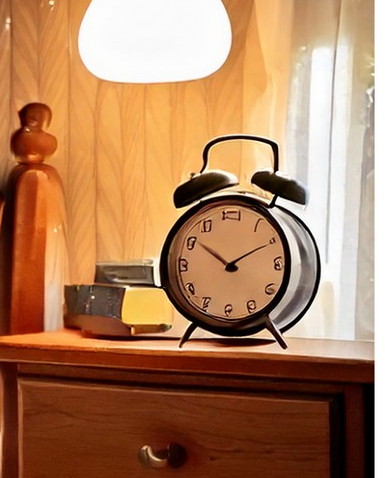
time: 10:10
